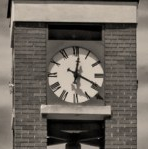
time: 12:19
